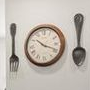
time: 10:18
